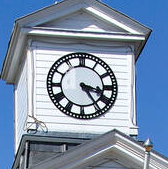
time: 3:24
